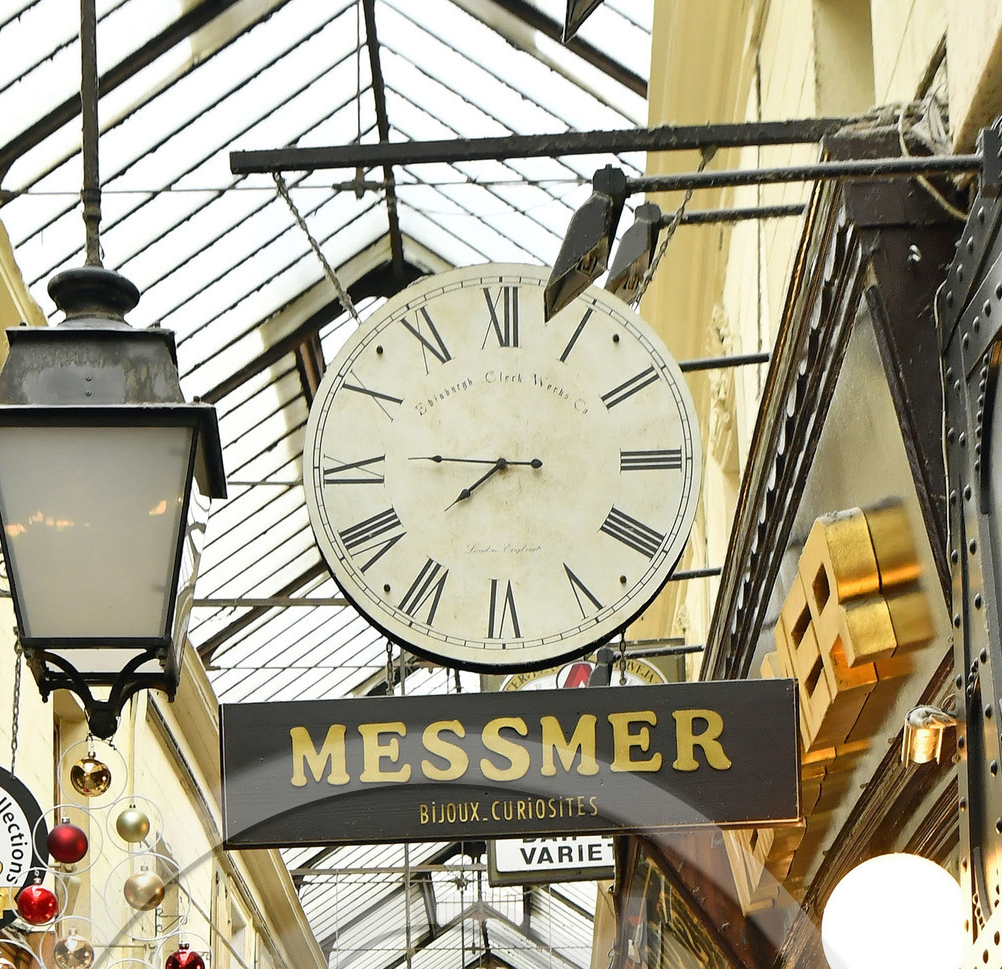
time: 7:45
